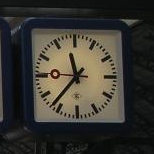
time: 11:36
